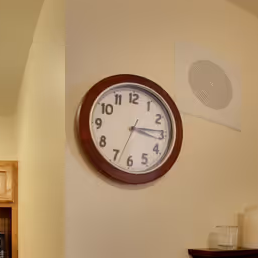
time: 3:13
